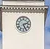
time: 2:25
